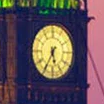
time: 5:34
